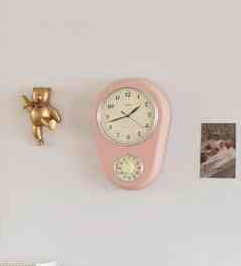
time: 1:42
